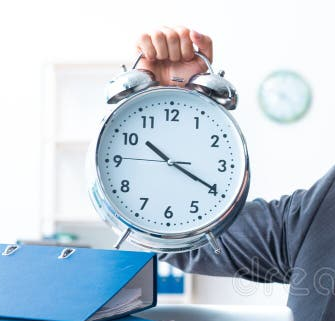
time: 10:20
